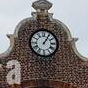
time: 1:05
